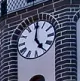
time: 5:00
